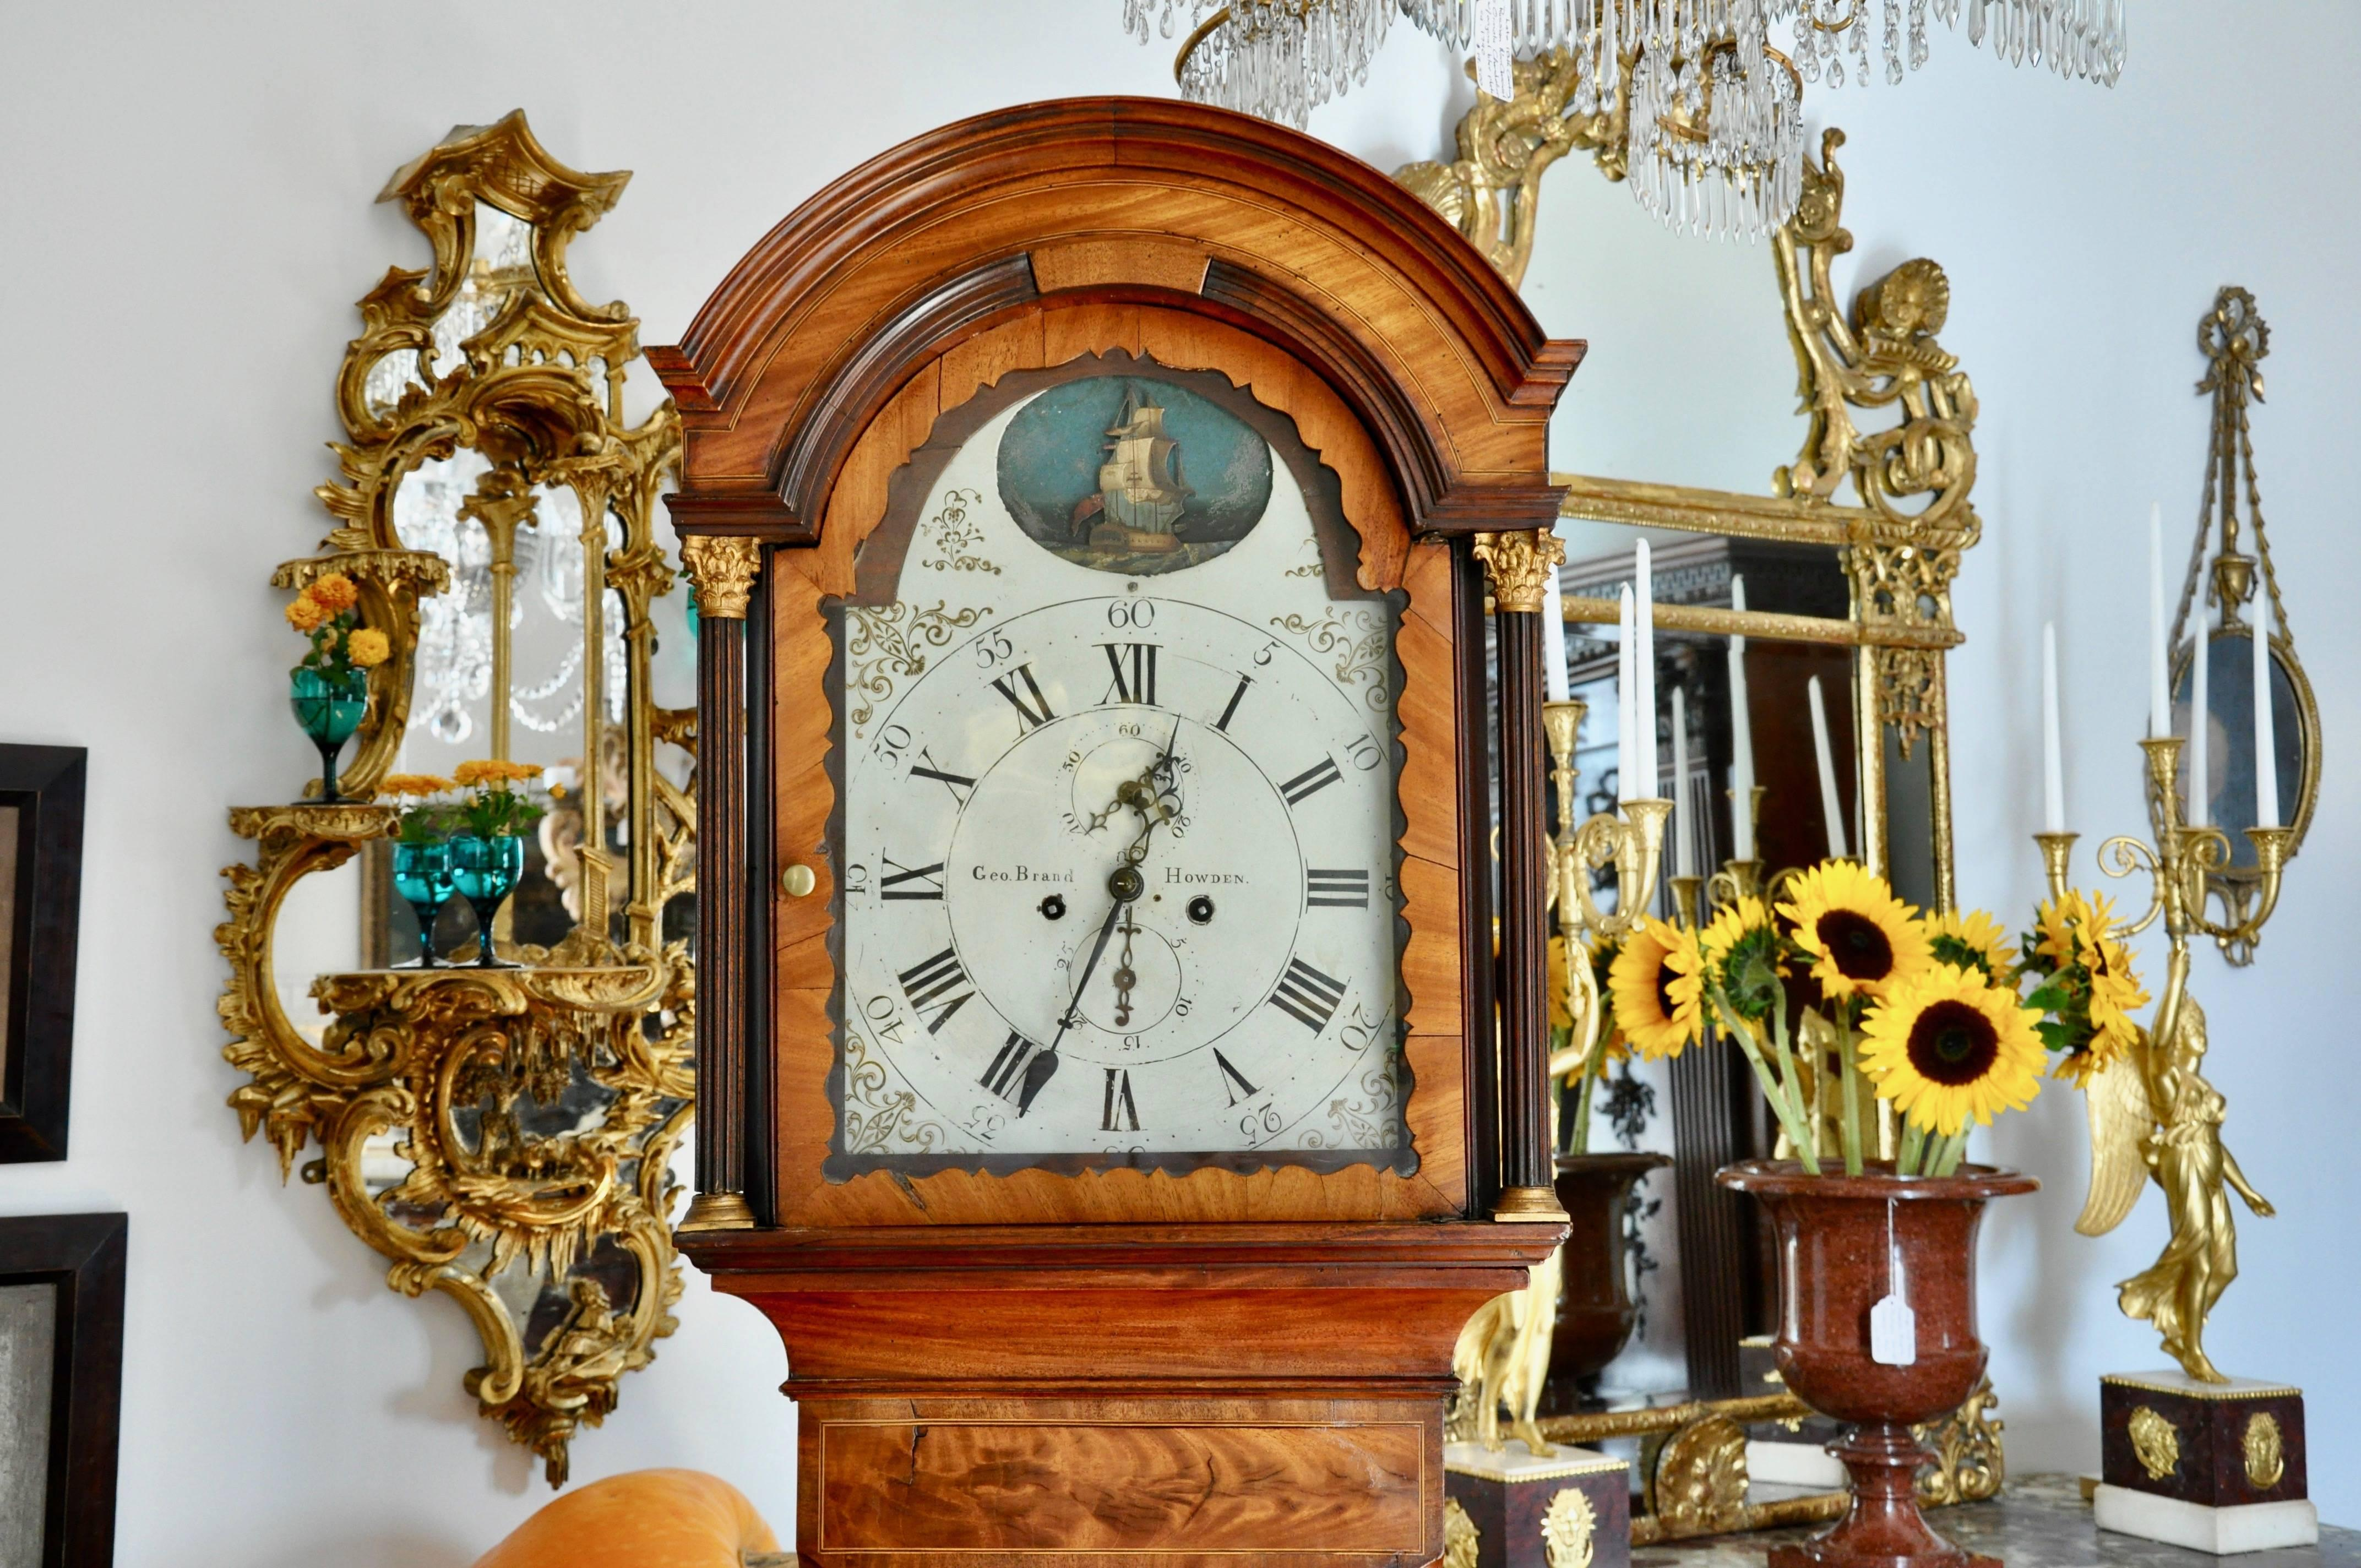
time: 12:33
